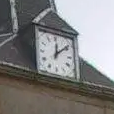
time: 12:08
